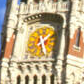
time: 1:26
